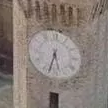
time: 5:33
